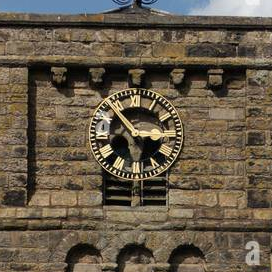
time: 2:53
